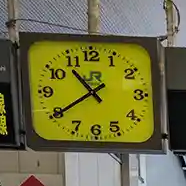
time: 10:39
